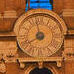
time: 7:58
